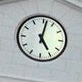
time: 5:01
